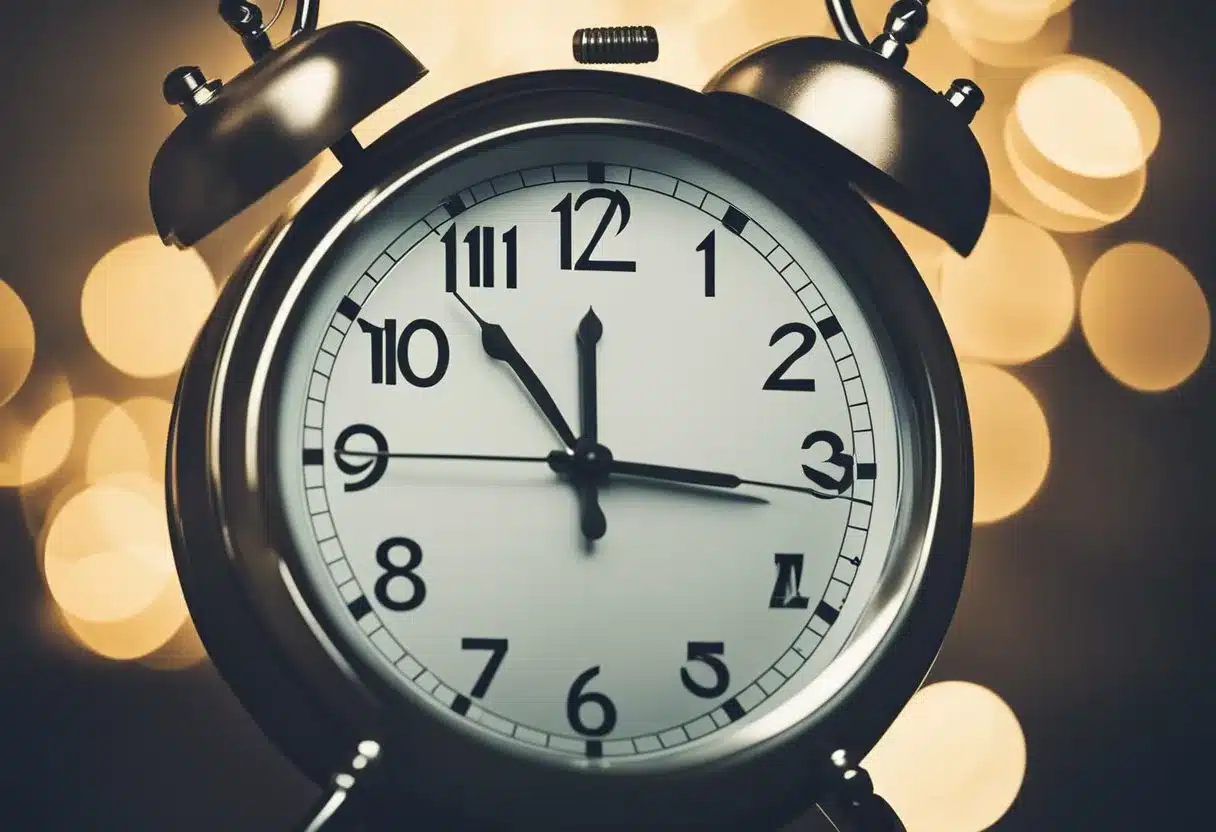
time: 11:53
